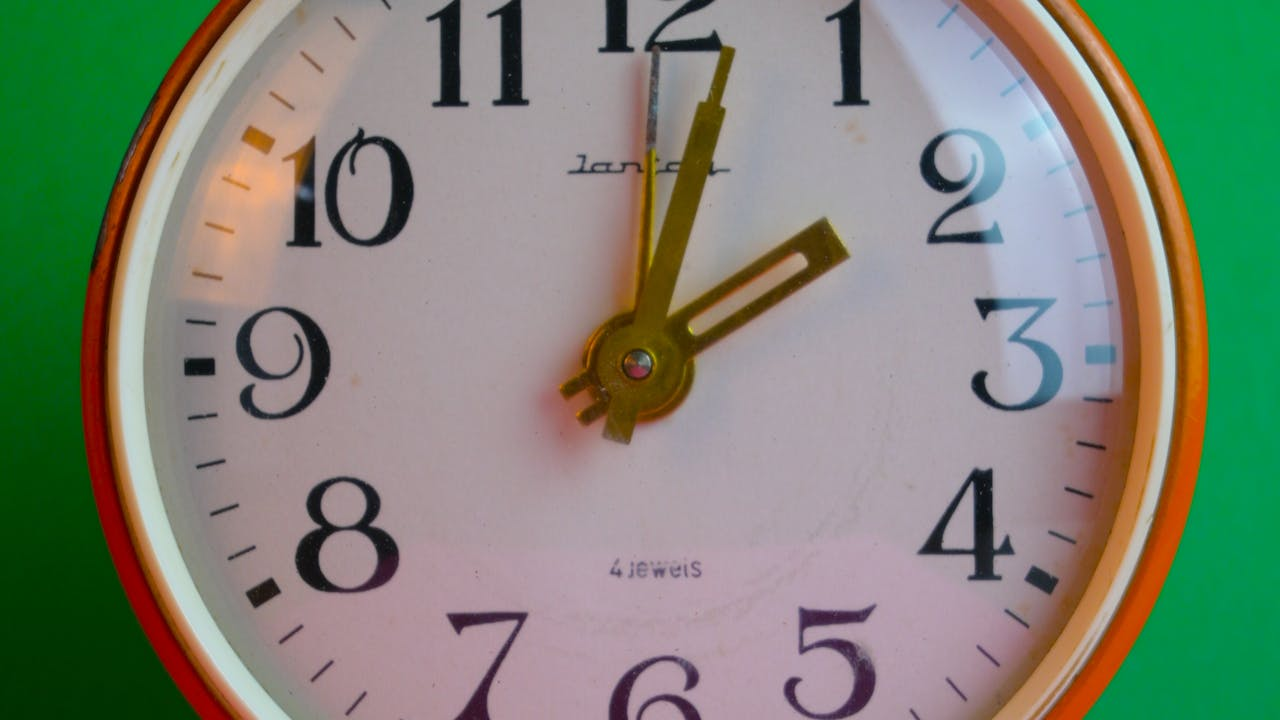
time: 2:01
